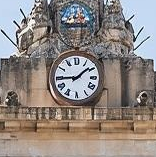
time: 1:44
